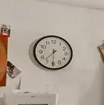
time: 7:30
